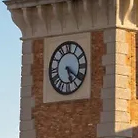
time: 5:20
